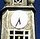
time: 5:34
